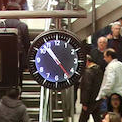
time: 10:23
